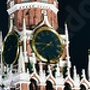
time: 7:44
